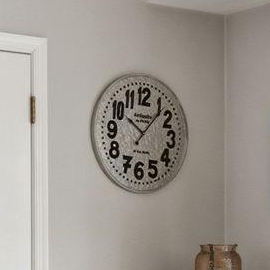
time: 10:07
